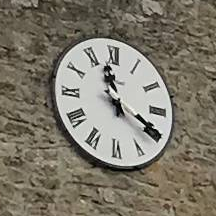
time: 11:19
